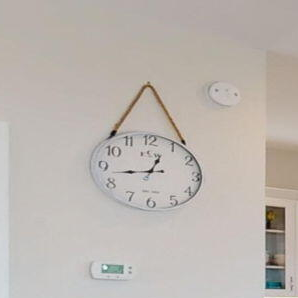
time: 12:43
